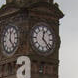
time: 12:22
